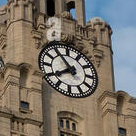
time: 7:53
